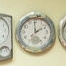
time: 1:59
